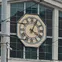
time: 4:04
